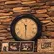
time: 11:30
